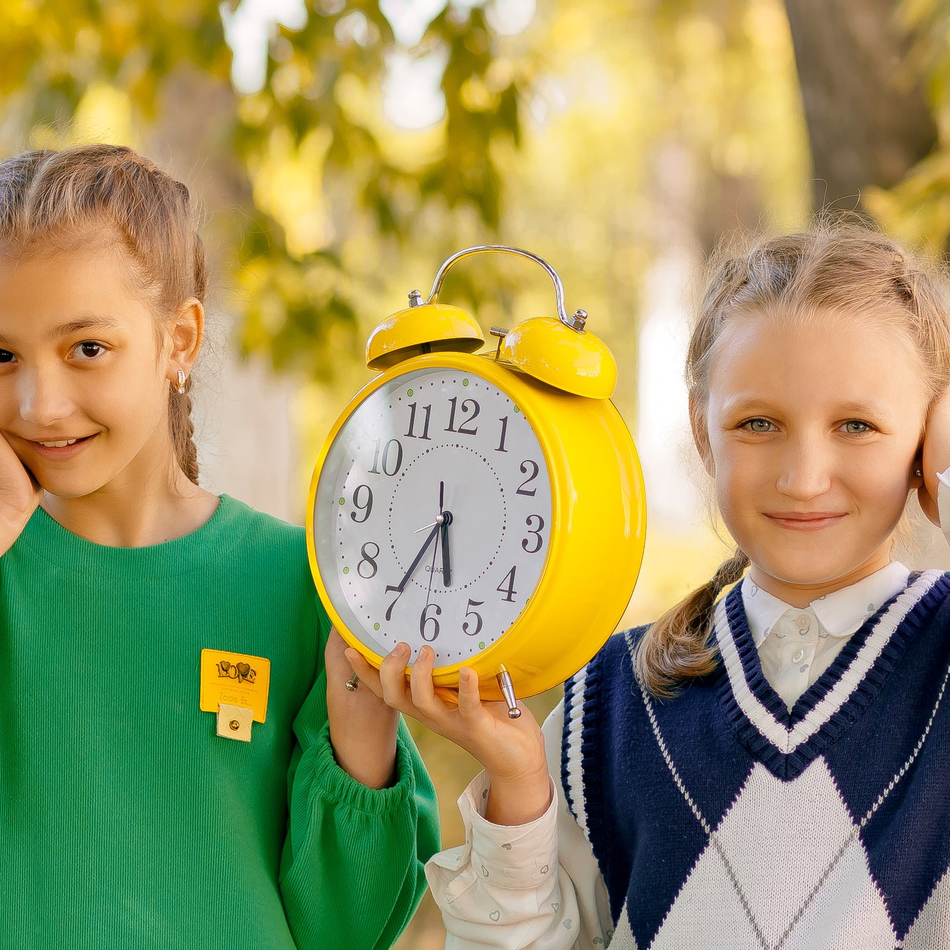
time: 5:35
